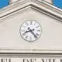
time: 8:23
